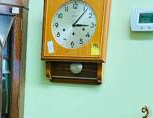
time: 3:06
